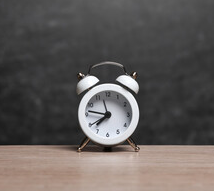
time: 7:46
